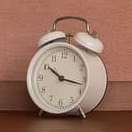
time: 10:17
